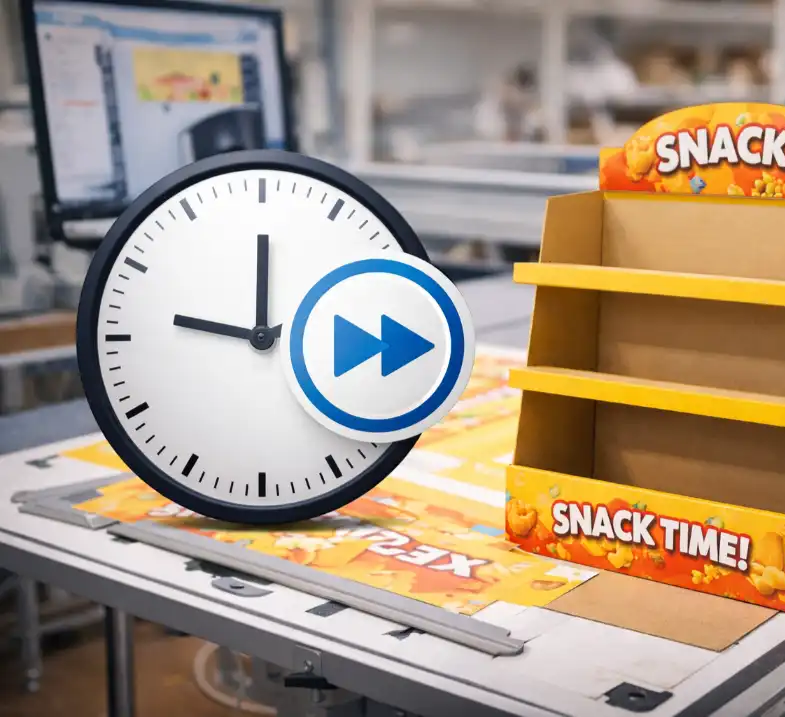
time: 11:46
